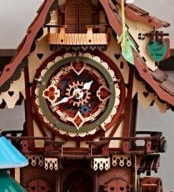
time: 1:40
